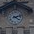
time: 4:12
